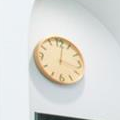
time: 12:17
